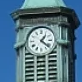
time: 1:21
